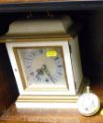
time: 7:25
